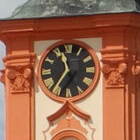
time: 11:35
